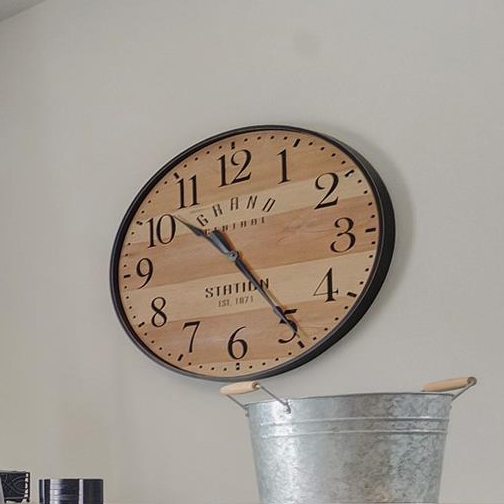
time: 10:24
